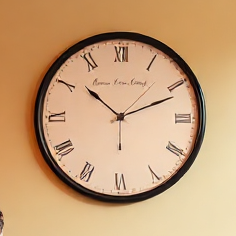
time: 10:11
